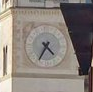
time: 4:35
